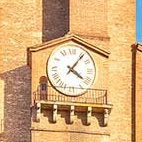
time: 4:06
